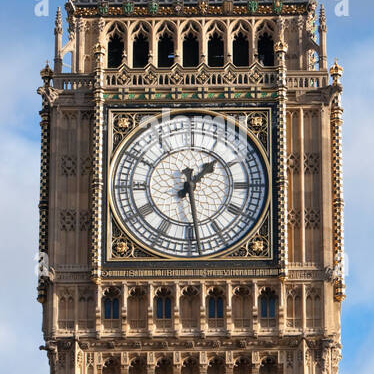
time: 1:28
